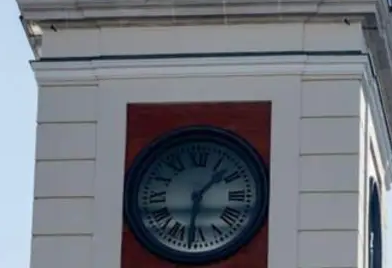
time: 1:31
